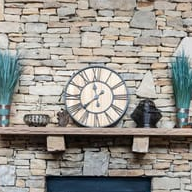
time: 11:37
